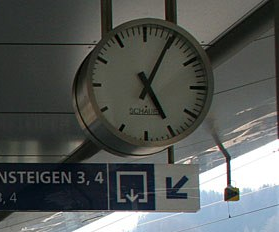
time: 5:04
